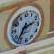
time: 2:36
